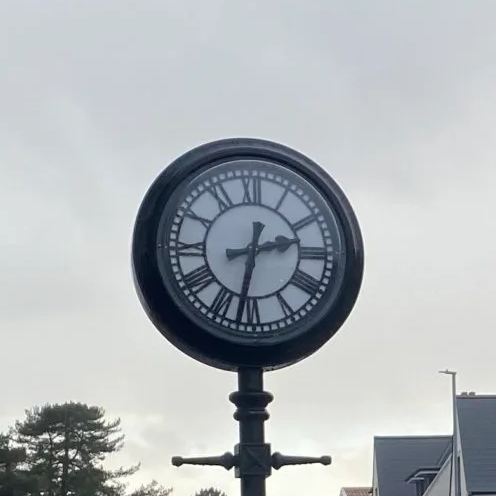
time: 2:32
